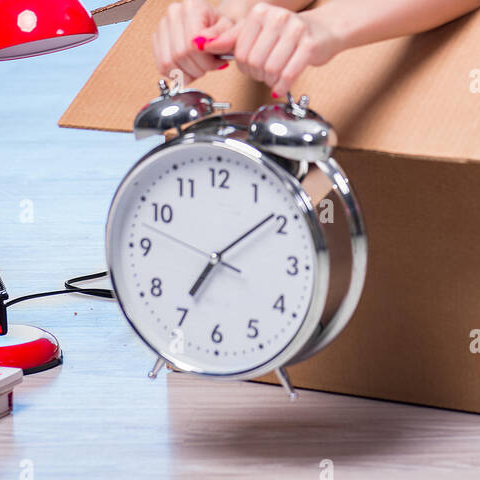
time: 7:08
